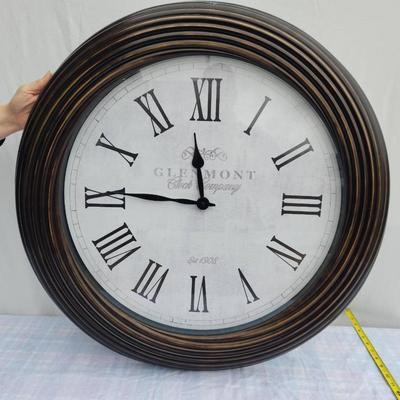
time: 11:45
